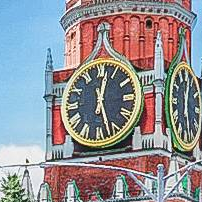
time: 12:27
